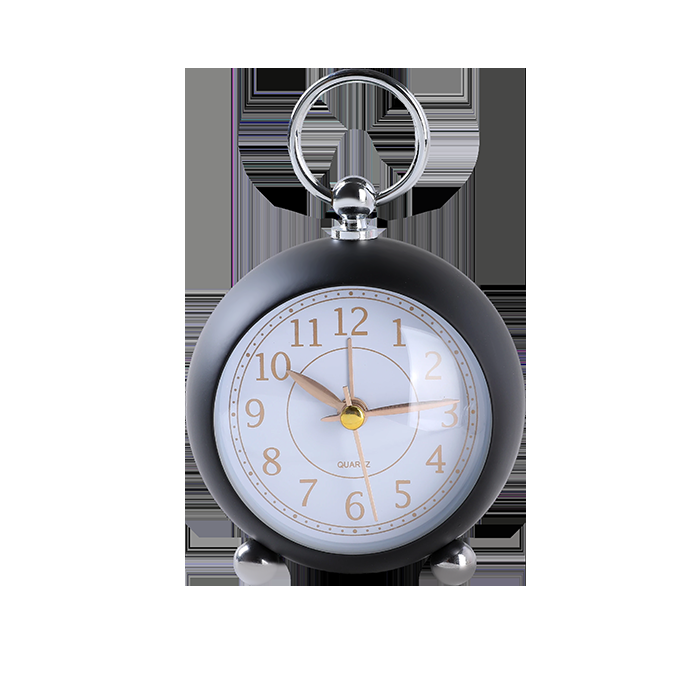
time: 10:14
